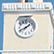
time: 1:40
